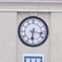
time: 6:16
